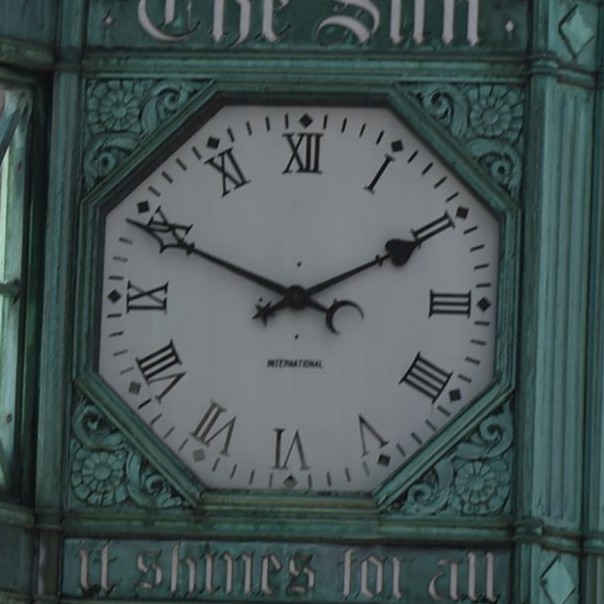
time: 1:49
